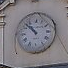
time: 10:52
